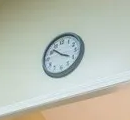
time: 3:52
